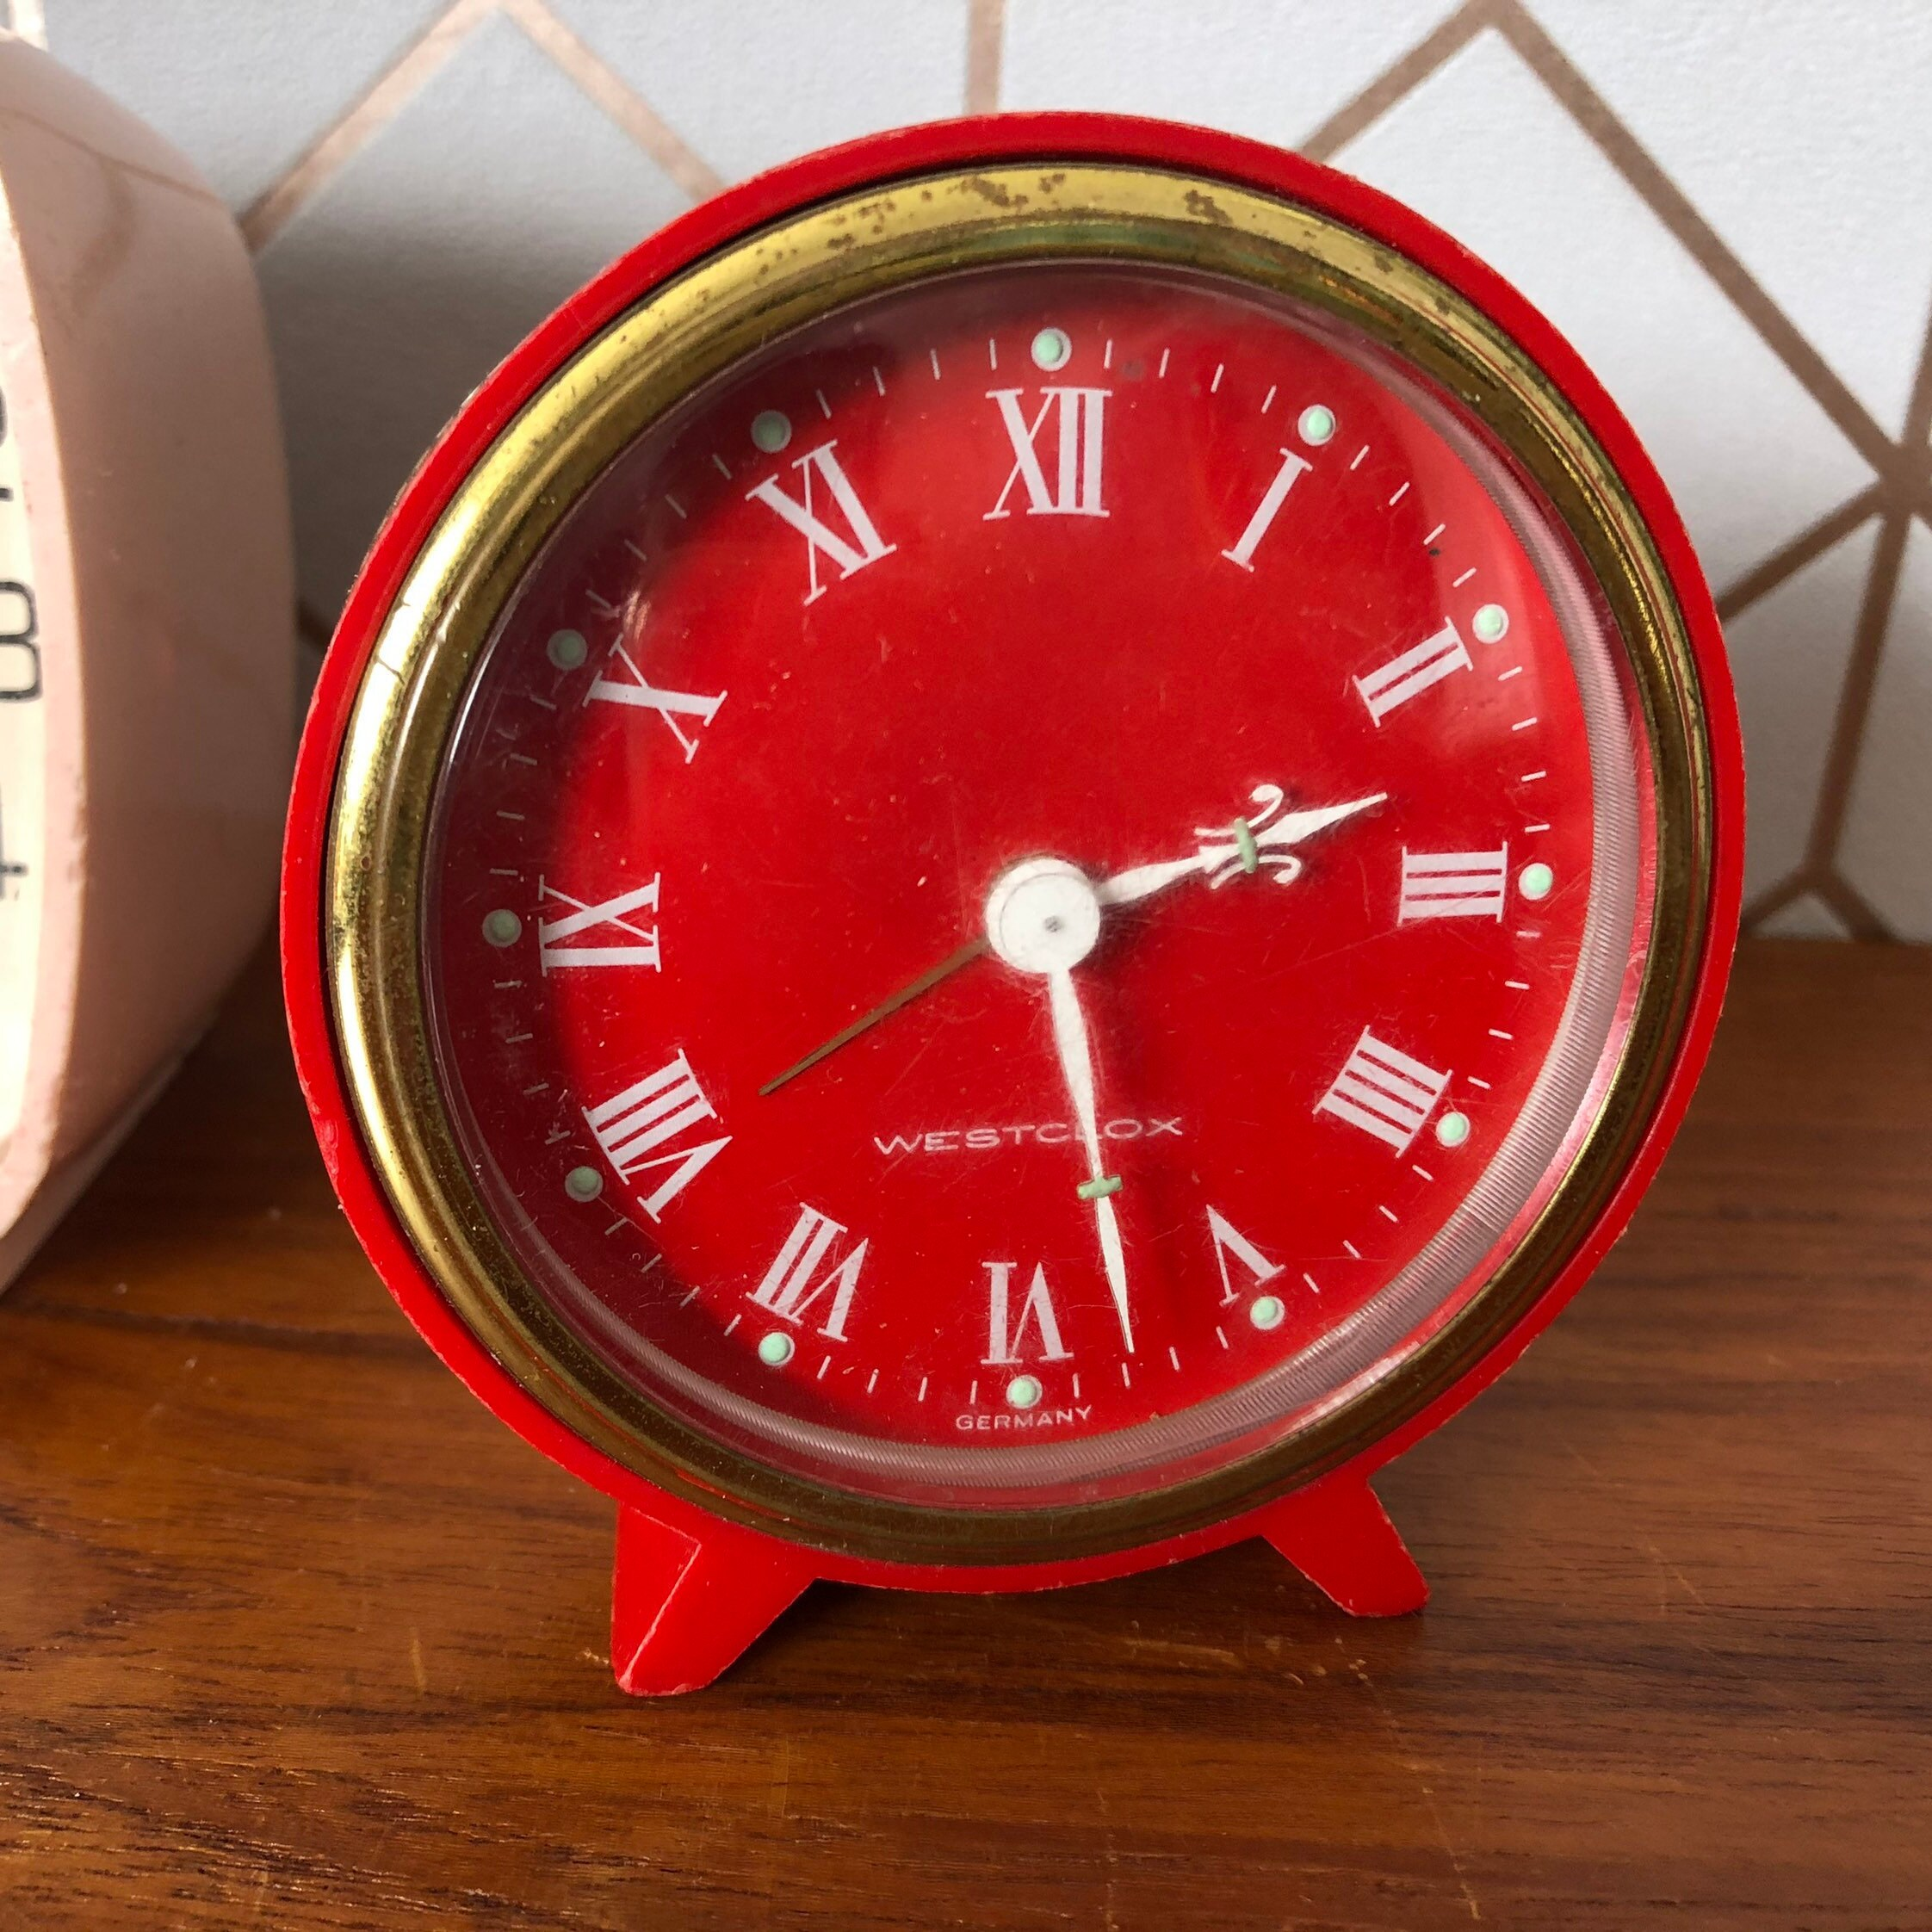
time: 2:27
